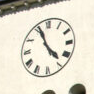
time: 4:56
